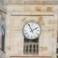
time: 1:56
